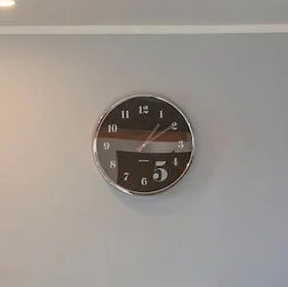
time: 1:09
